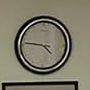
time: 4:45
